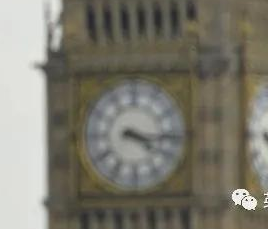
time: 4:16
